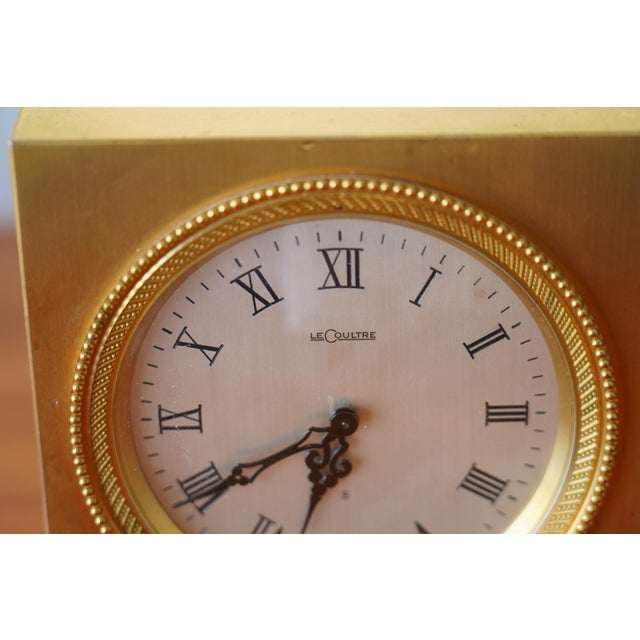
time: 6:39
